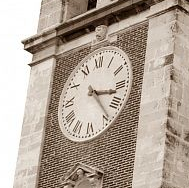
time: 3:23
